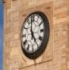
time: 4:59
